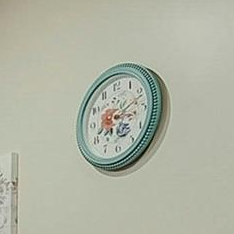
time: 3:11
